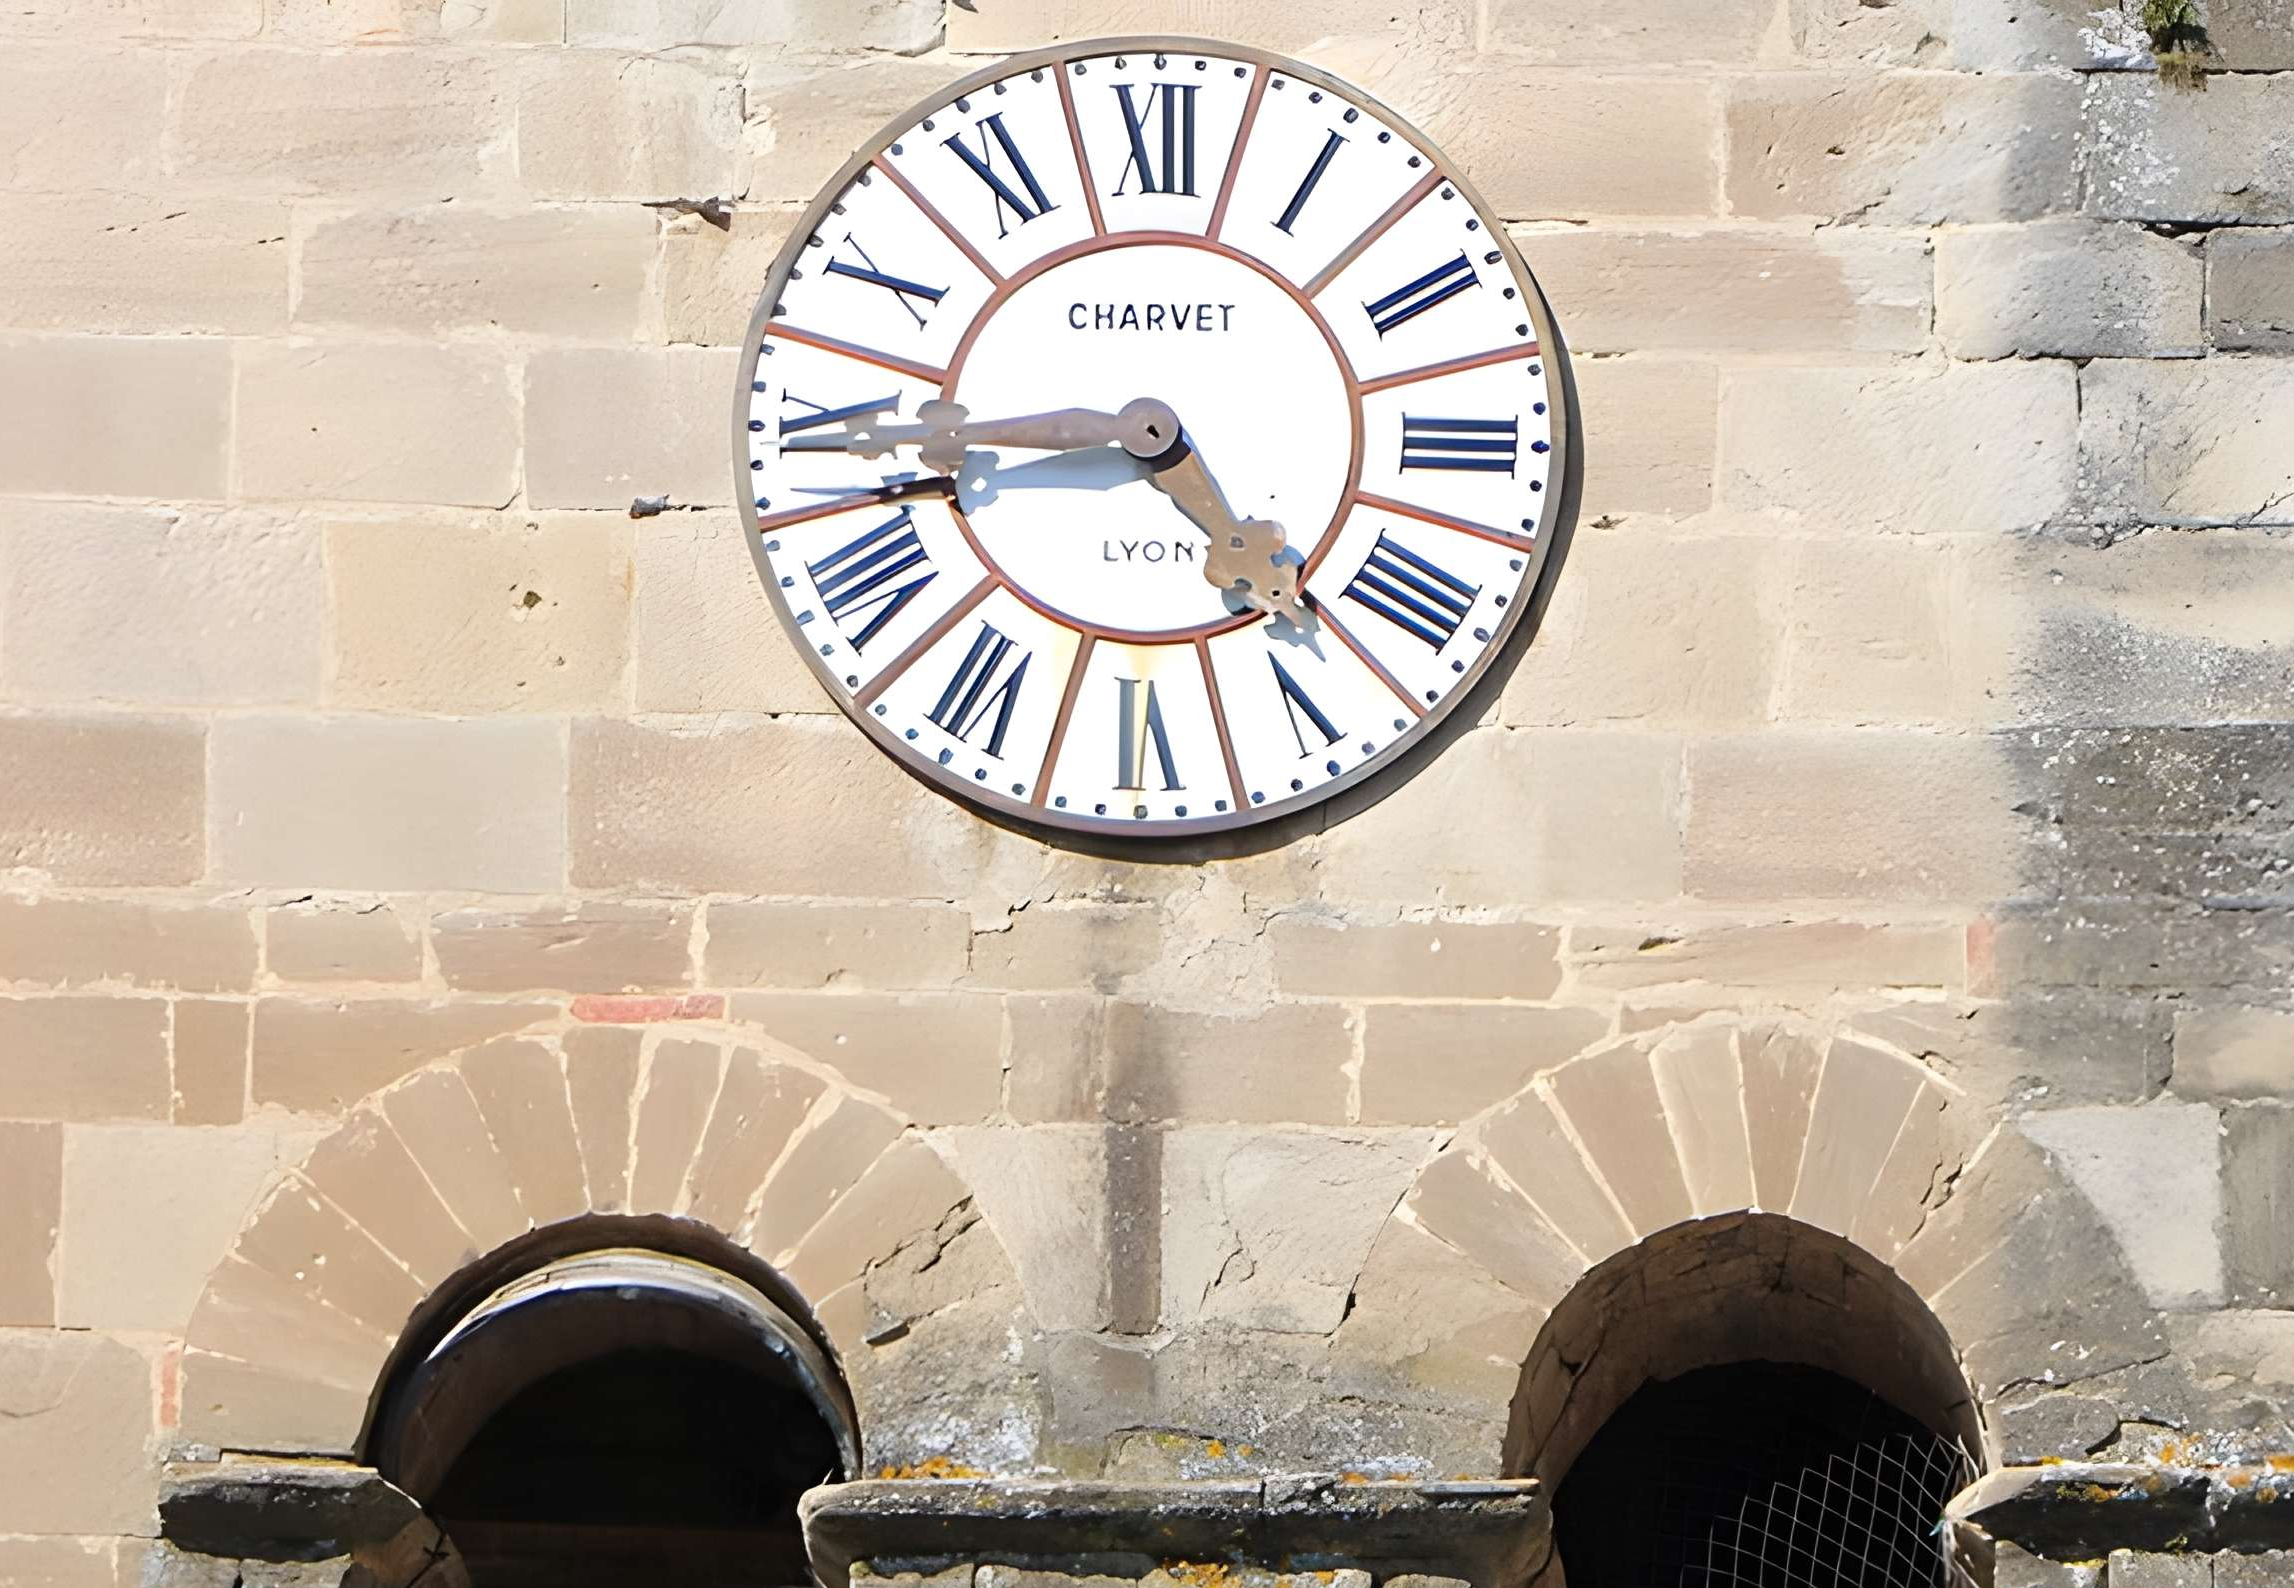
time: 4:43
